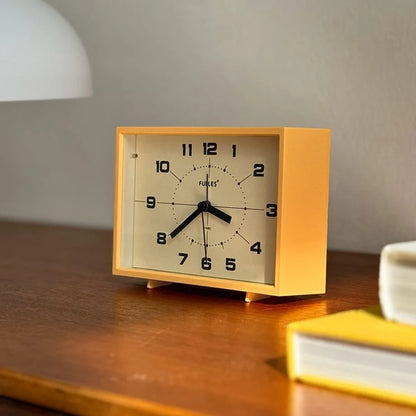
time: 3:38
